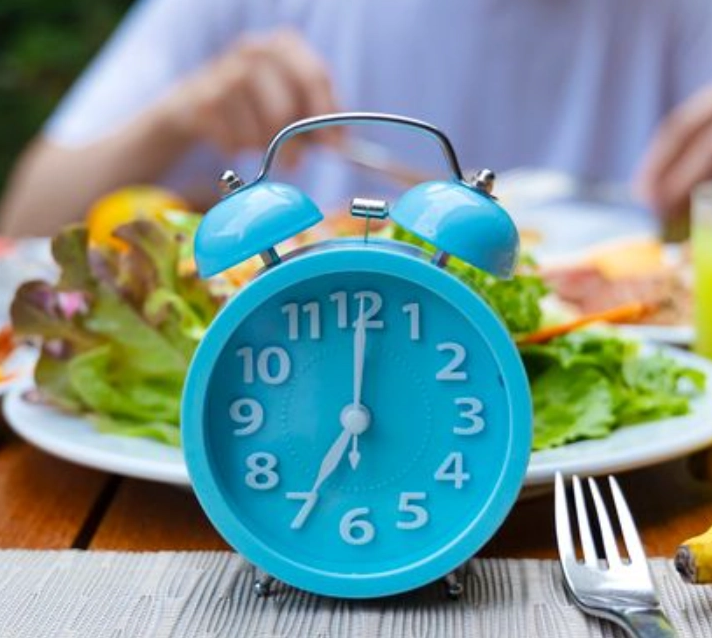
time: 7:00
